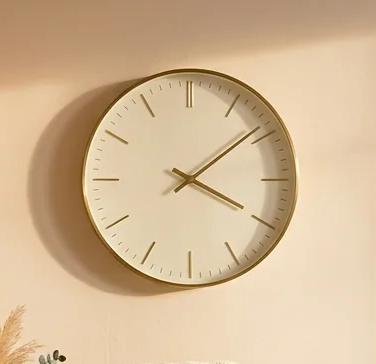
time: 4:08
